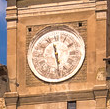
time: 11:28
